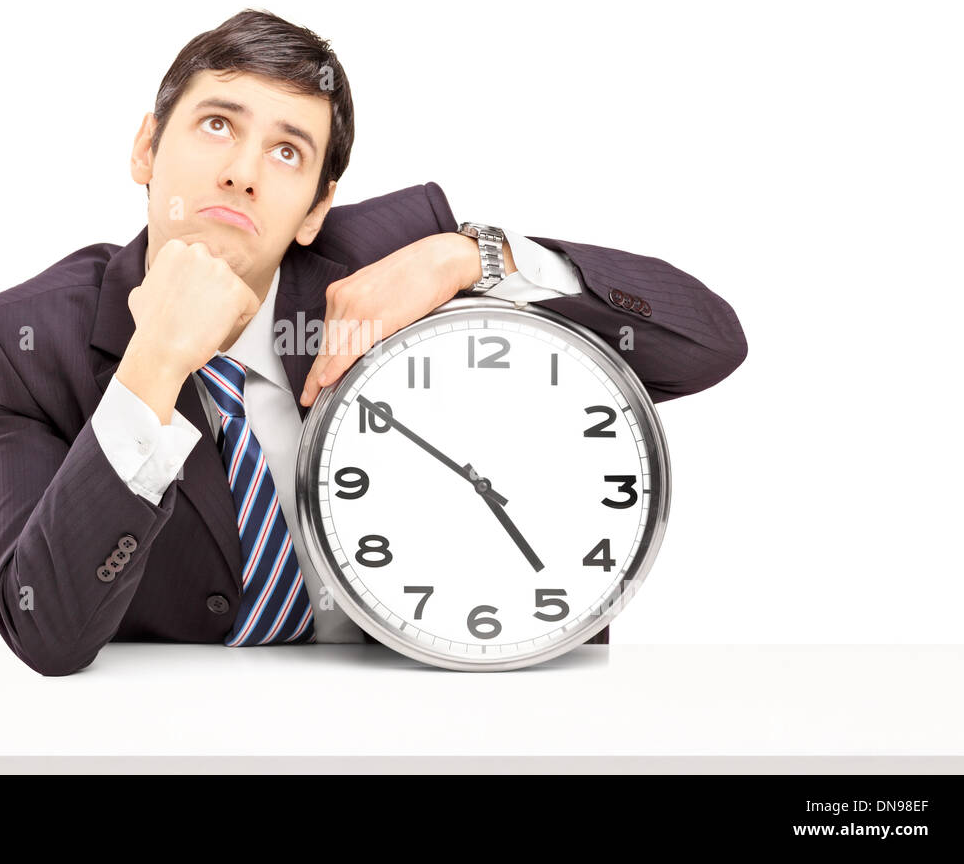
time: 4:50
